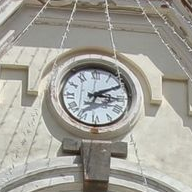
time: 3:10
